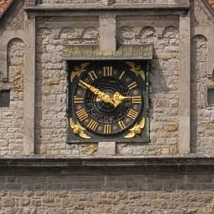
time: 2:50
